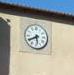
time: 5:40
